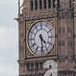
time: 4:28
